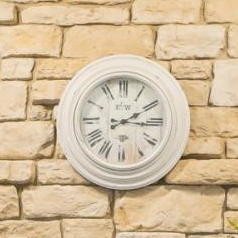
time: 2:15
